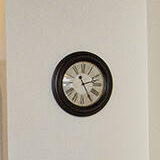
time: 2:25
